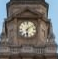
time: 6:08
